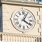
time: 4:04
